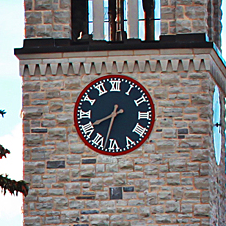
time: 6:40
